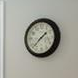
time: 1:37
